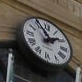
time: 1:55
